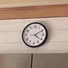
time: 4:10
